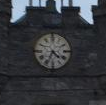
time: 4:34
